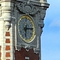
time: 6:14
